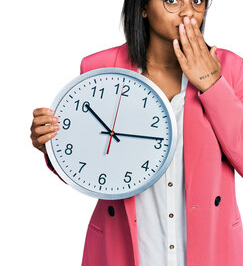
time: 10:13
